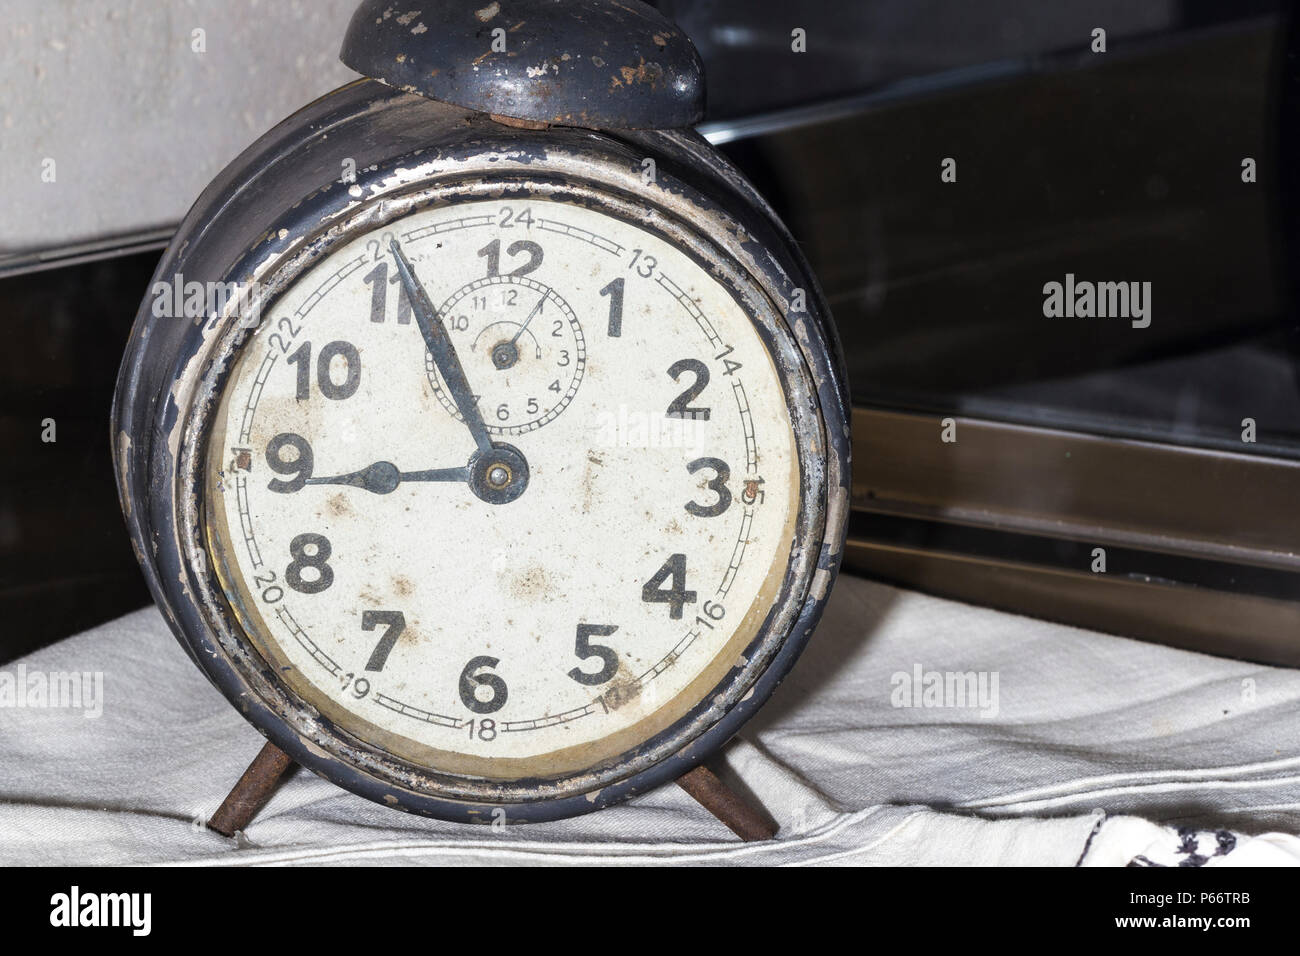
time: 8:55
